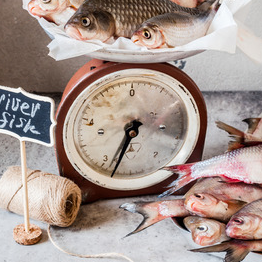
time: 6:32
